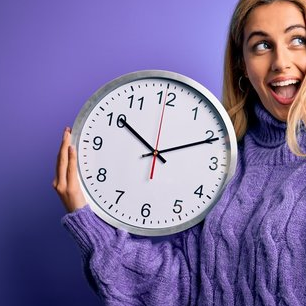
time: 10:10
